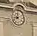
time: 9:01
